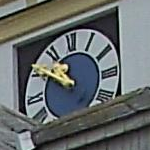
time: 10:50
